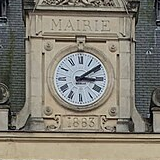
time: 3:09
